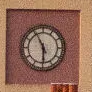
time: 5:55
